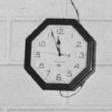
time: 11:56
